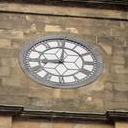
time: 9:01
